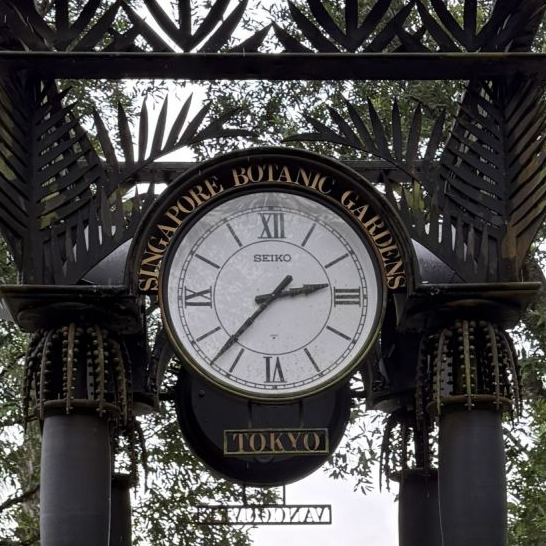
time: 2:37
